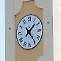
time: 1:23
